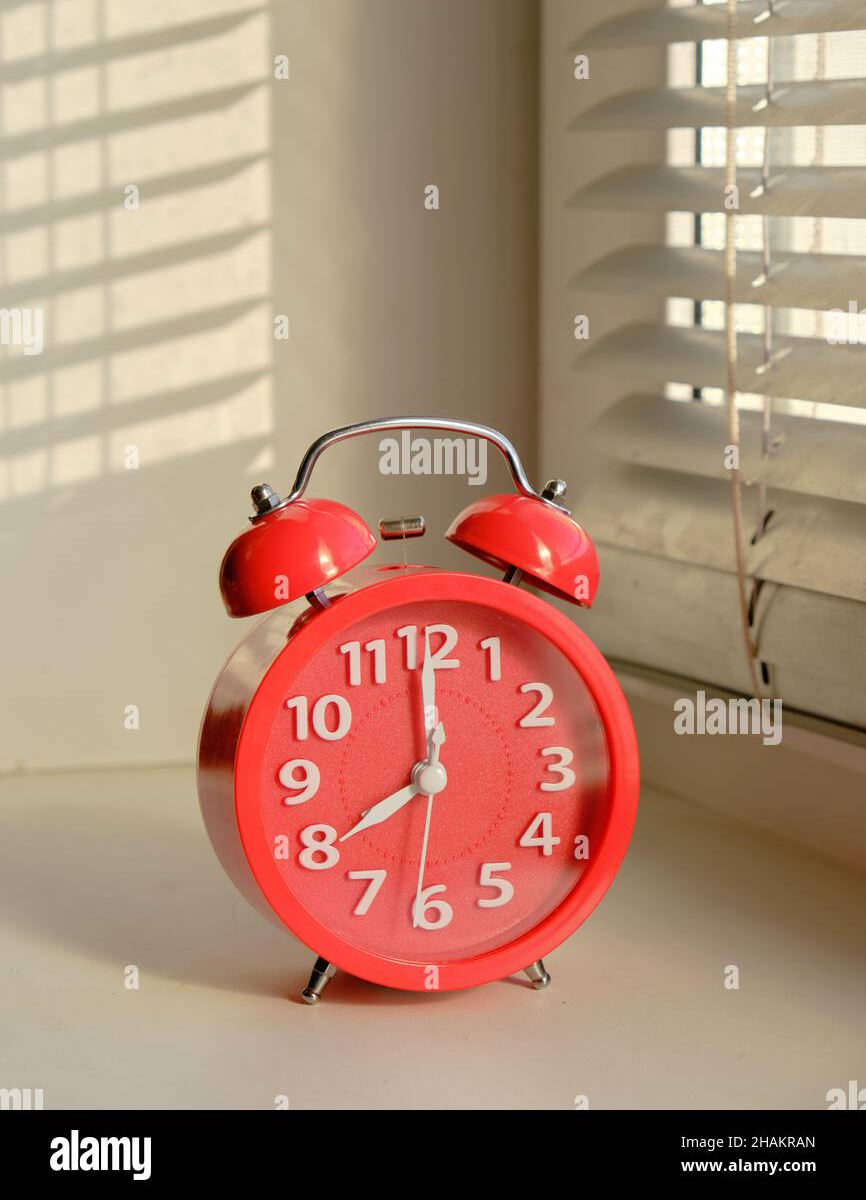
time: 8:00
